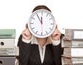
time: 11:55
